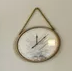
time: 12:07
